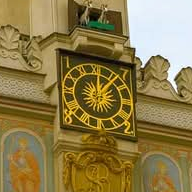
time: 12:06
